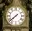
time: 7:38
